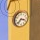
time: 3:37
